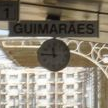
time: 11:45
